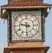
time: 9:29
